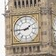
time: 1:44
